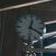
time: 12:19
